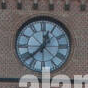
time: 12:38
